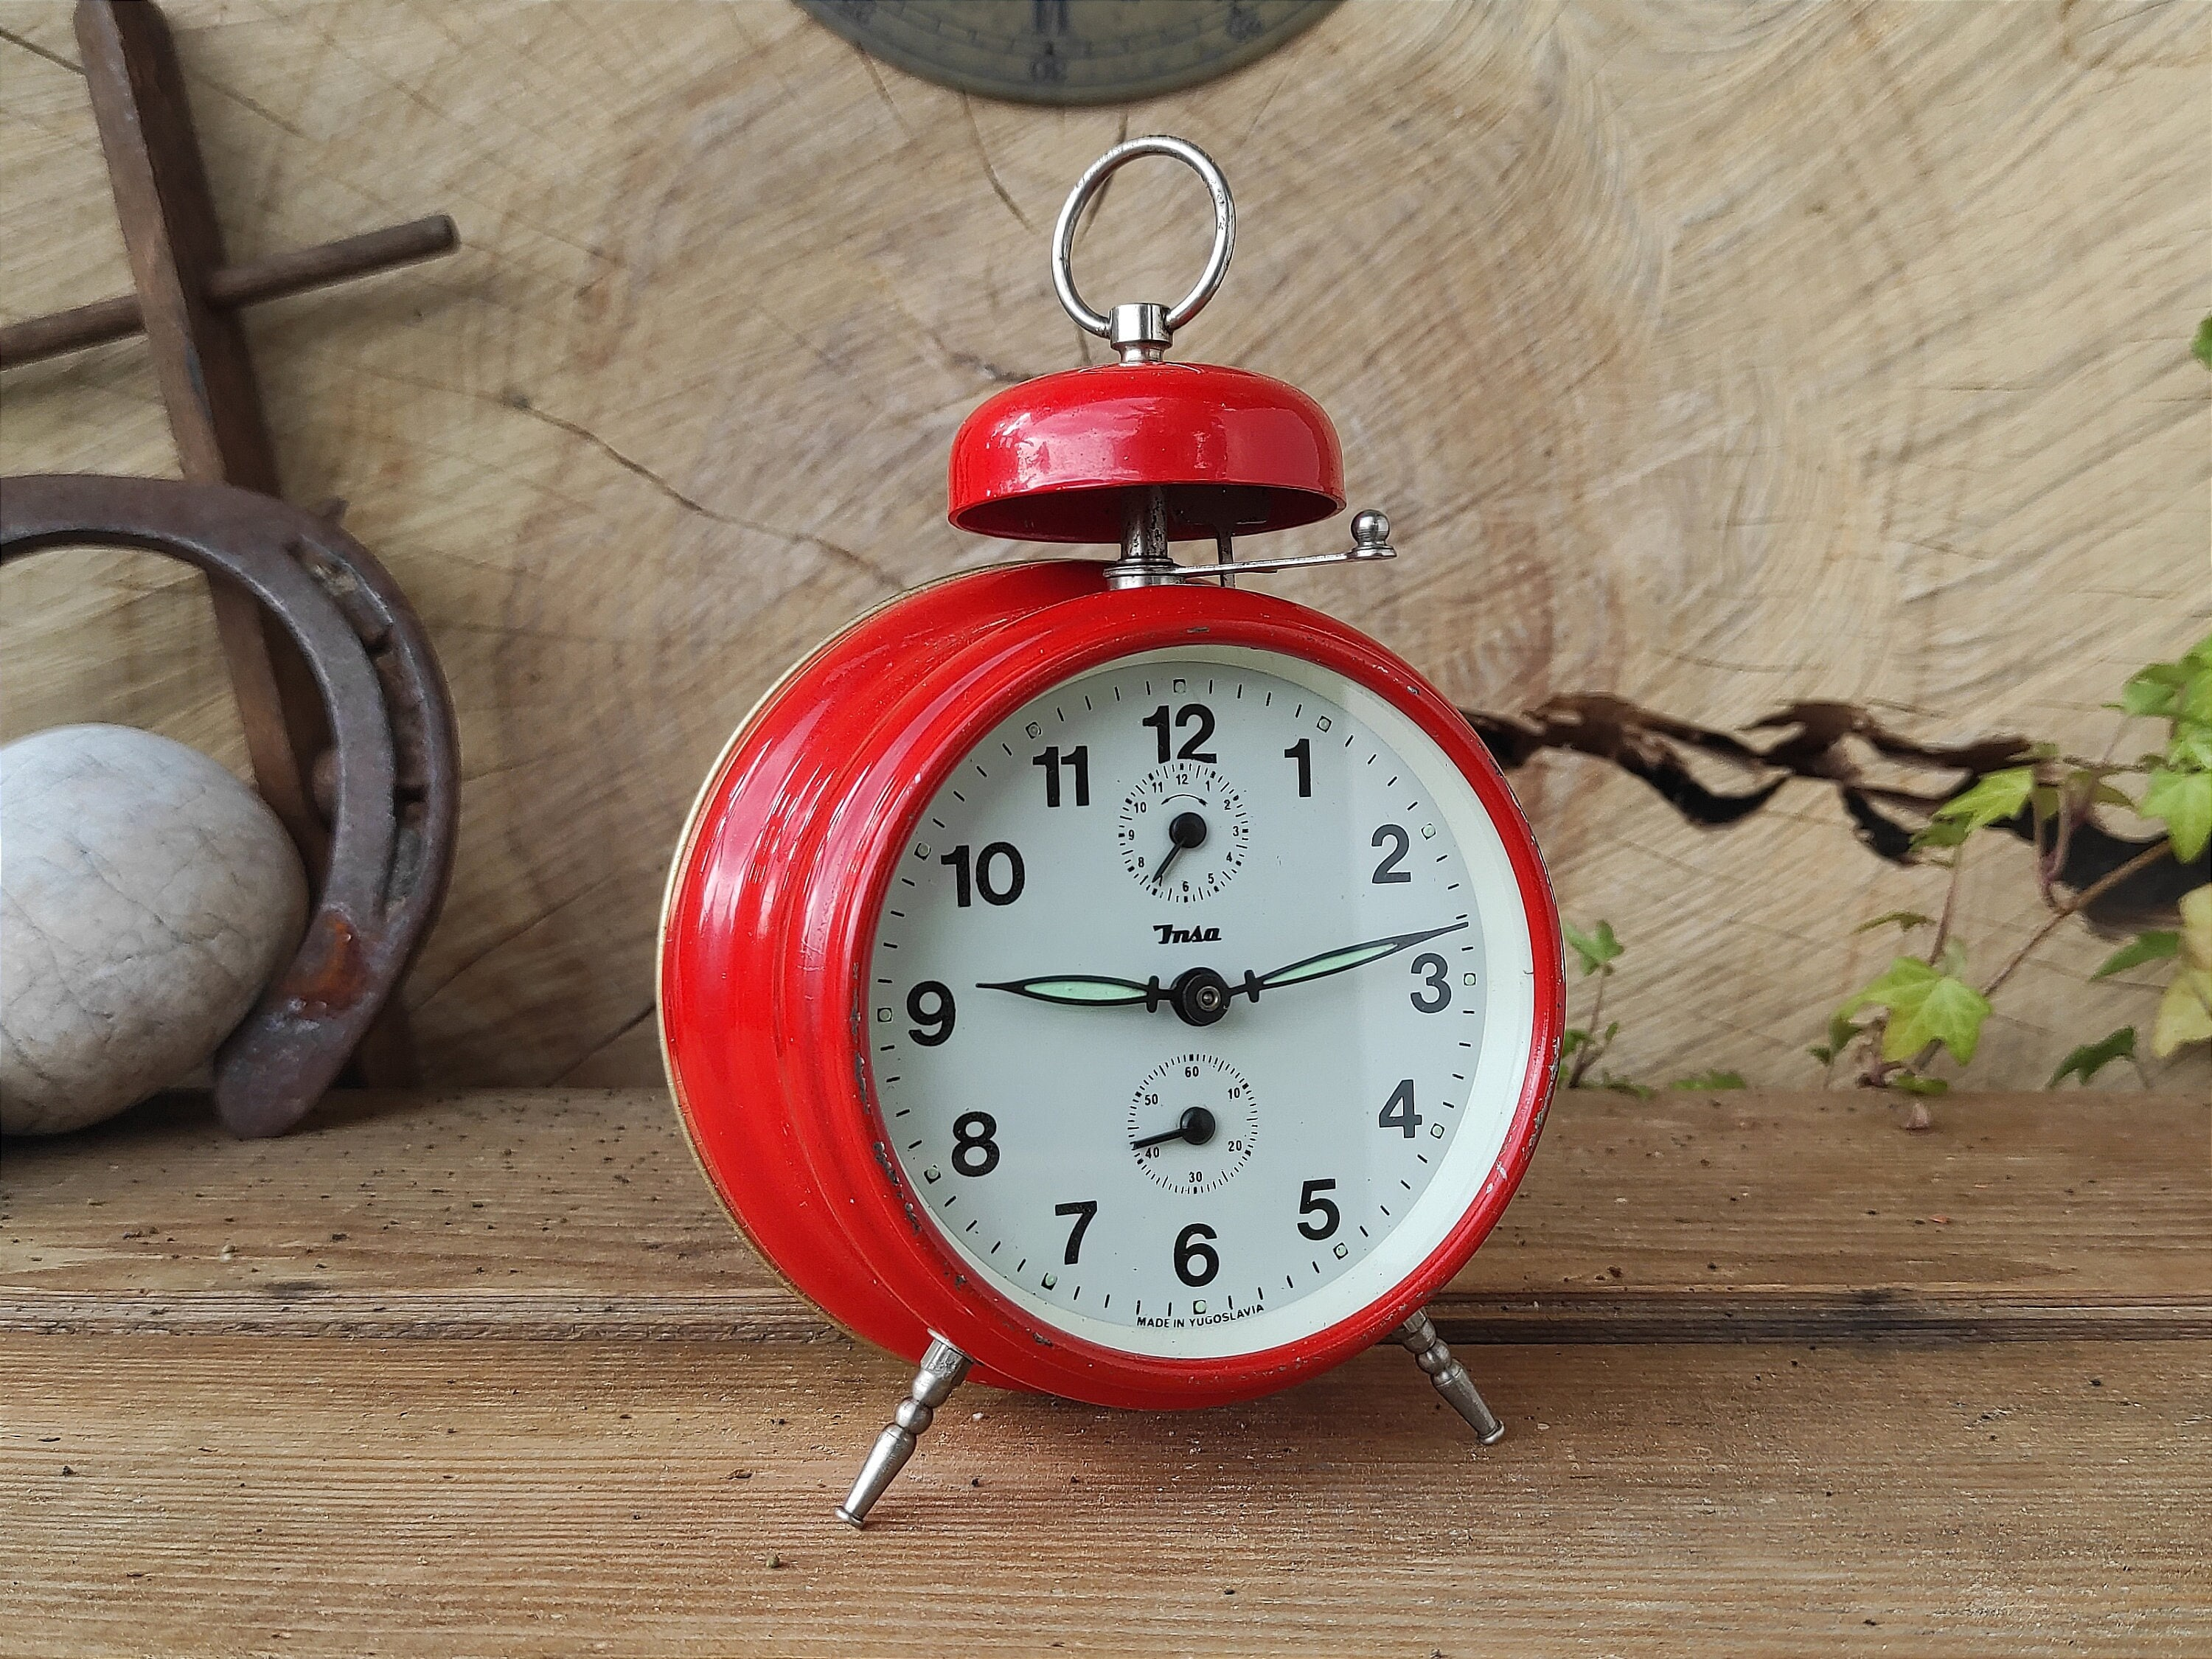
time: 9:12
